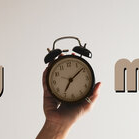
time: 7:09
